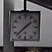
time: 1:37
